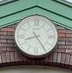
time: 8:24
